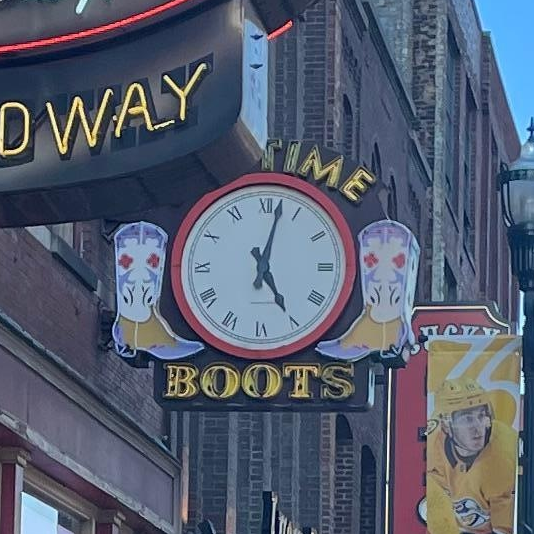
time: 5:02
